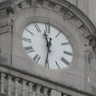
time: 11:31
